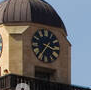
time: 3:35
